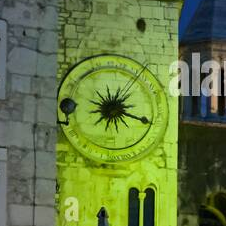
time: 1:18
